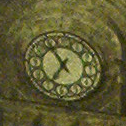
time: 6:54
